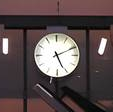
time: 5:11
